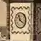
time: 11:21
